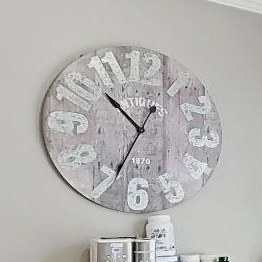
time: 10:34
